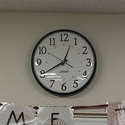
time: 12:40
